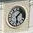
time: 1:28
